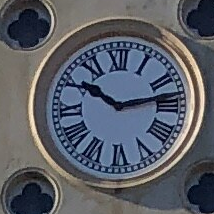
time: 10:13
